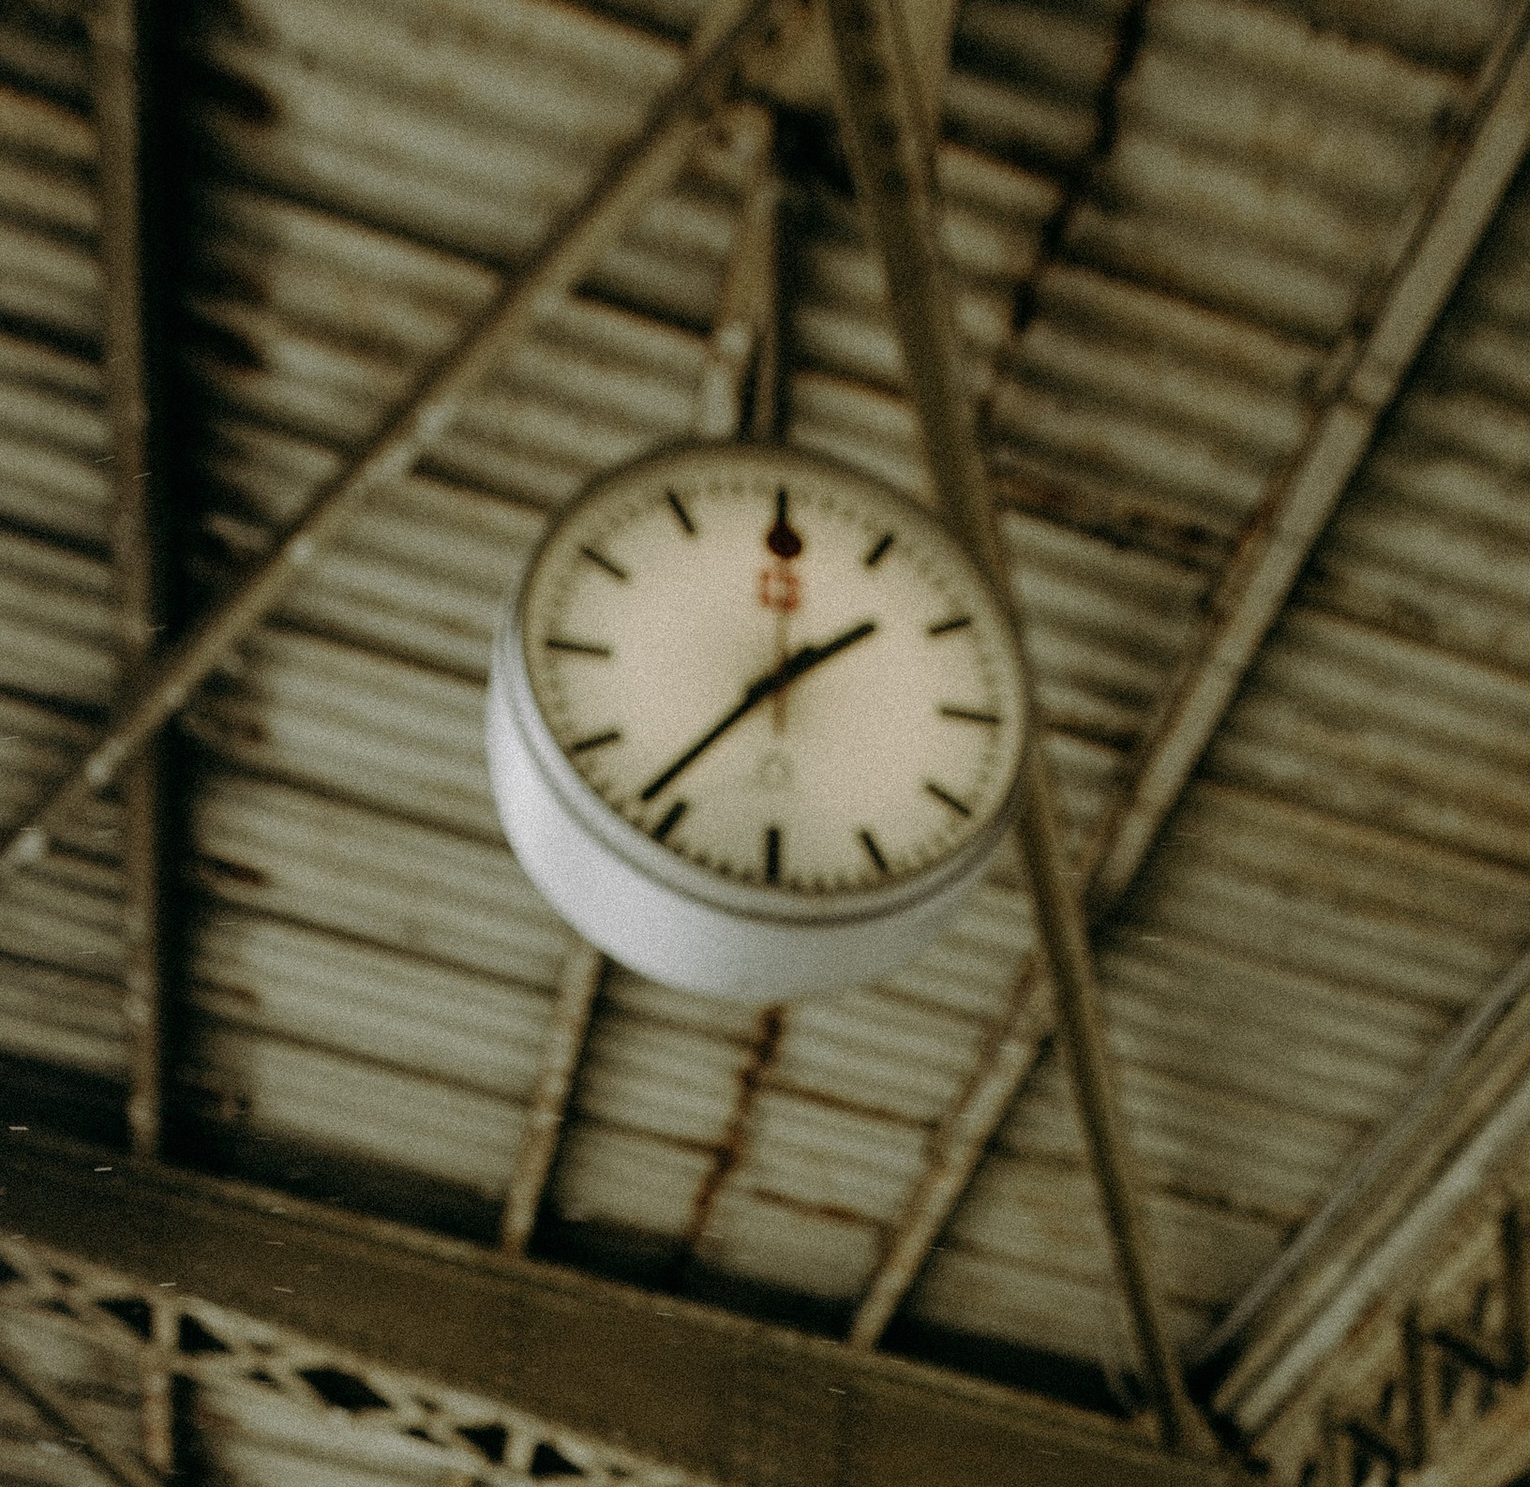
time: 1:36
